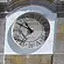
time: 10:50
